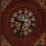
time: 9:33
